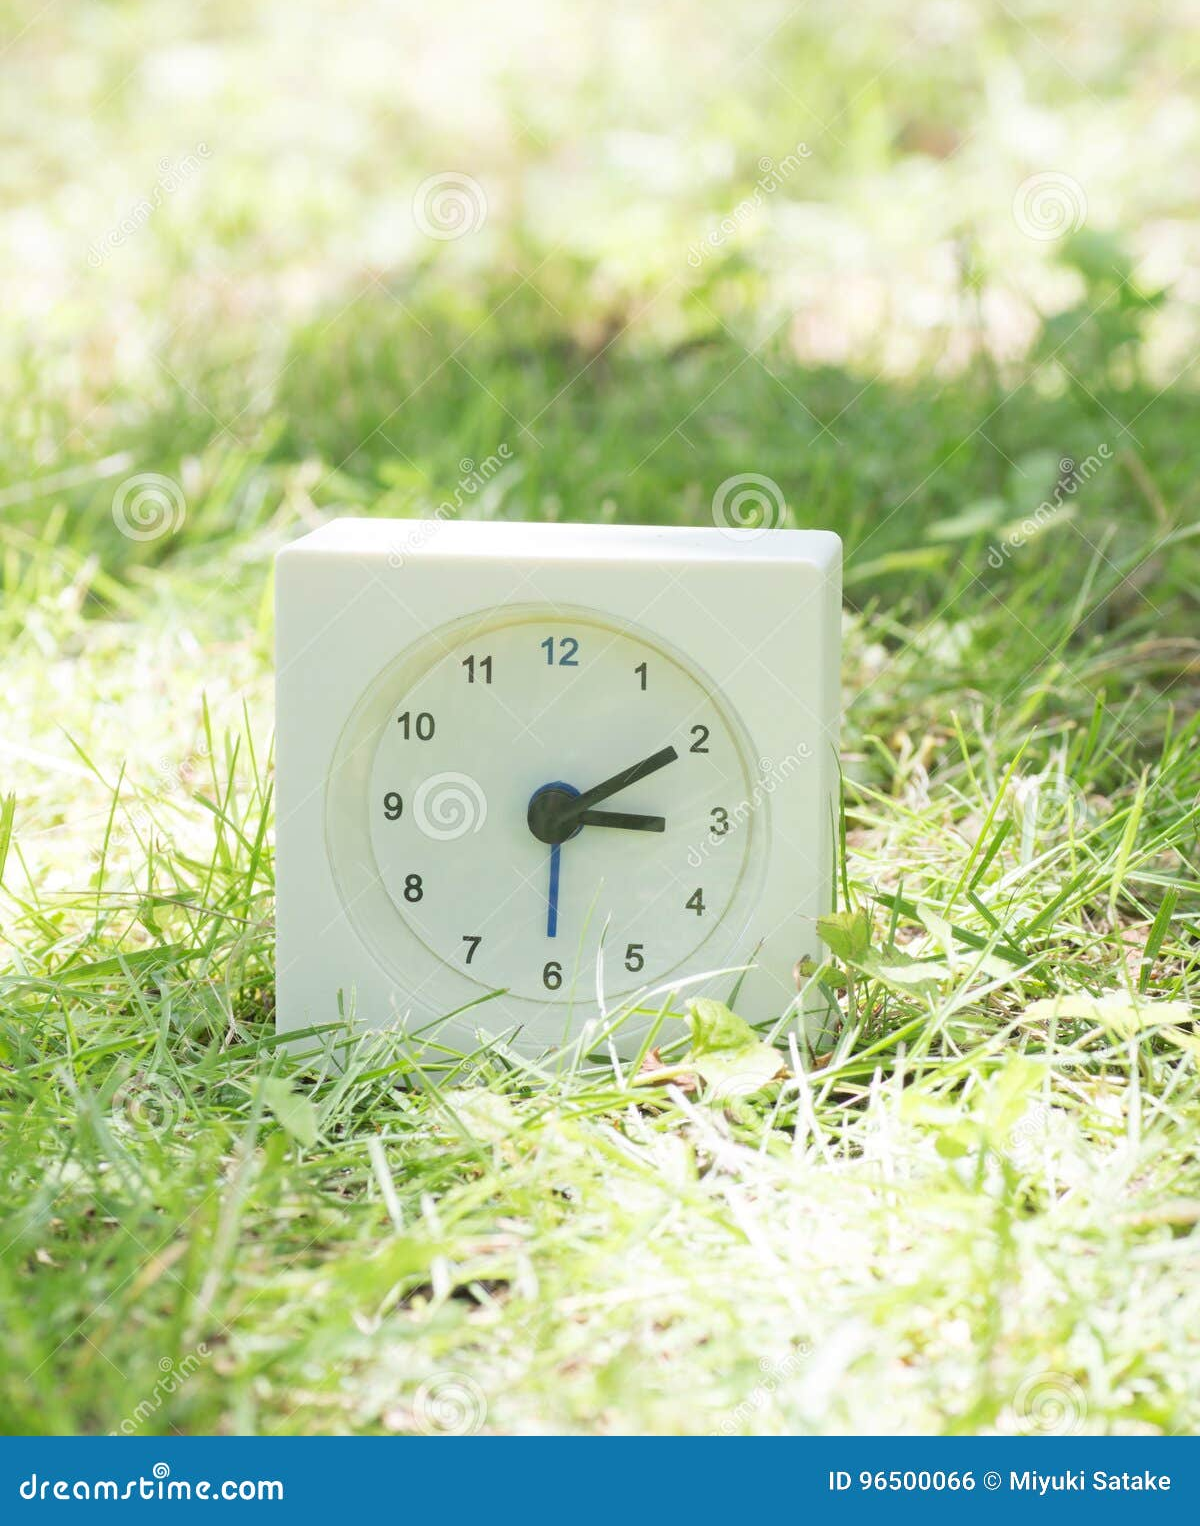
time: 3:09
